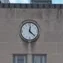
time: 12:22
